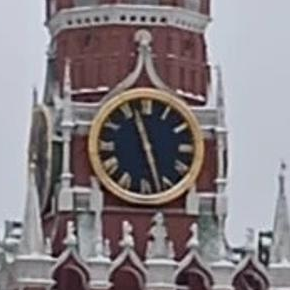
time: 11:27
